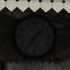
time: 1:35
